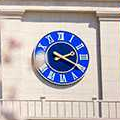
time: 2:19
